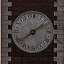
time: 1:38
